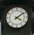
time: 4:08
